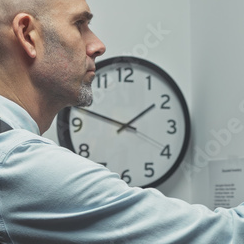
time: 1:48
